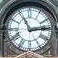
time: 11:13
